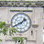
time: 1:40
